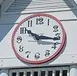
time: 10:16
